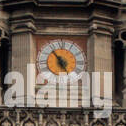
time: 4:53
